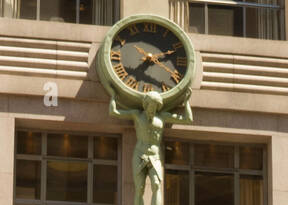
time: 7:11
